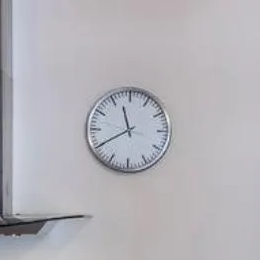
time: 11:40
